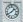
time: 1:39
